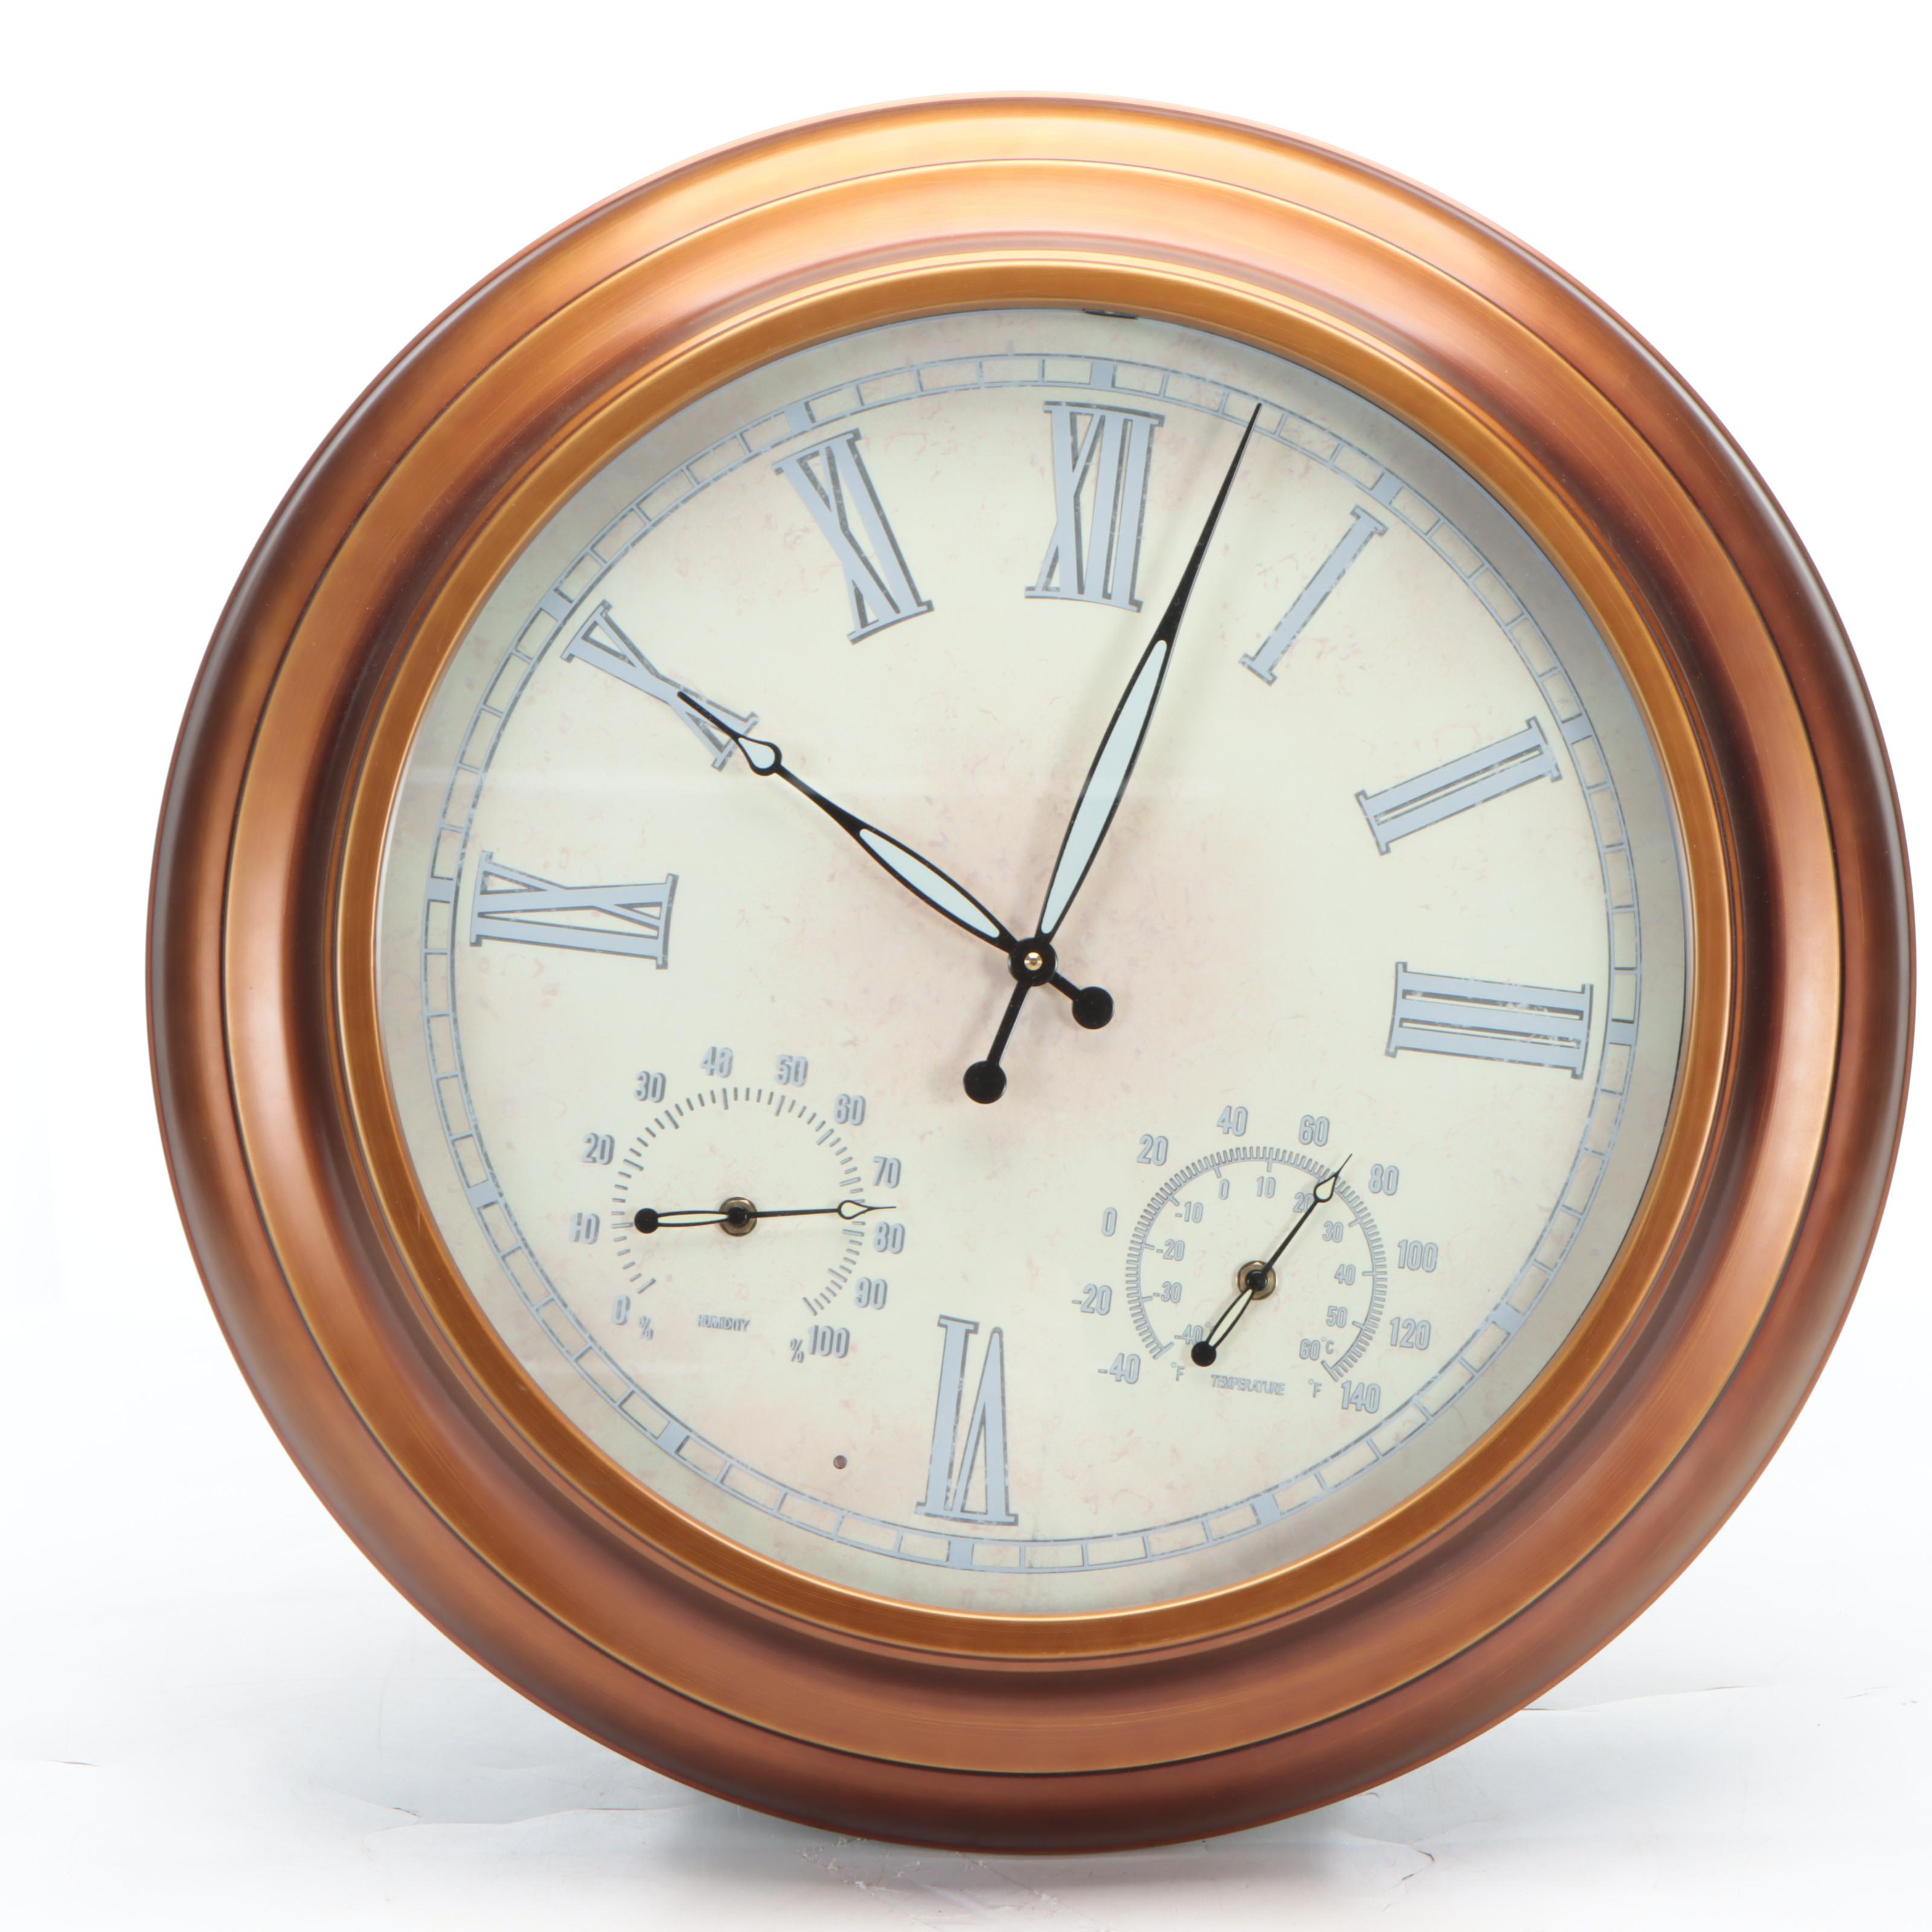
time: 10:02
